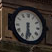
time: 5:31
